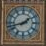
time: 1:42
